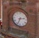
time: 2:33
